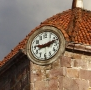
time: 9:11
